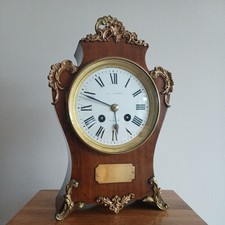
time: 5:49
